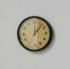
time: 12:06
